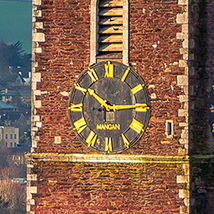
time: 10:14
